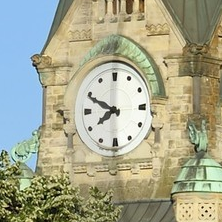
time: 7:49
